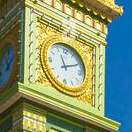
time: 11:10
